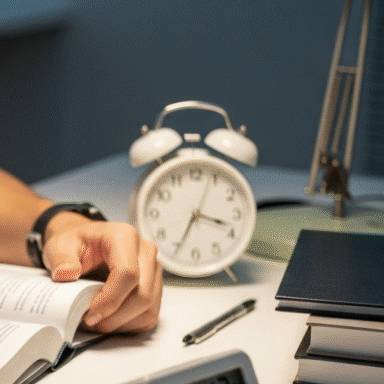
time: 3:34
